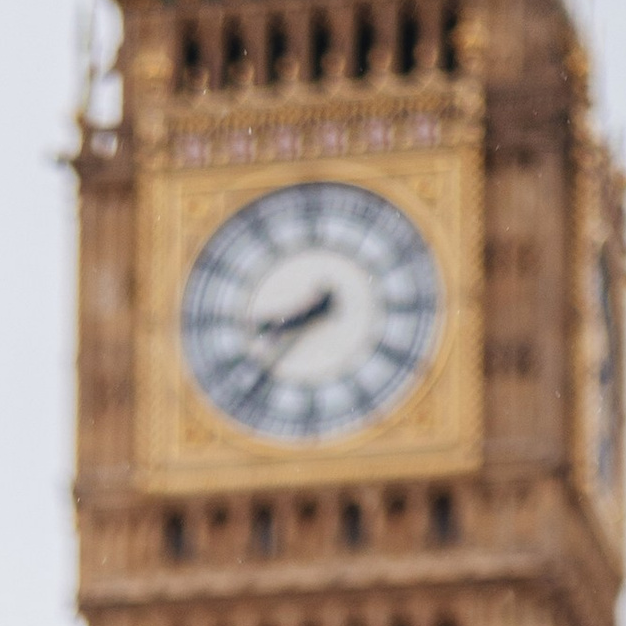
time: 8:37
